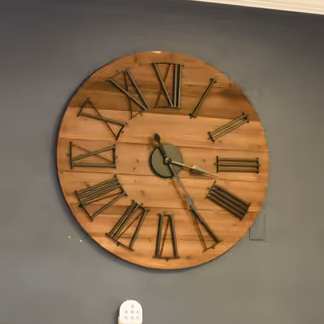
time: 3:24
